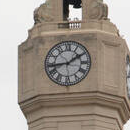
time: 1:43
